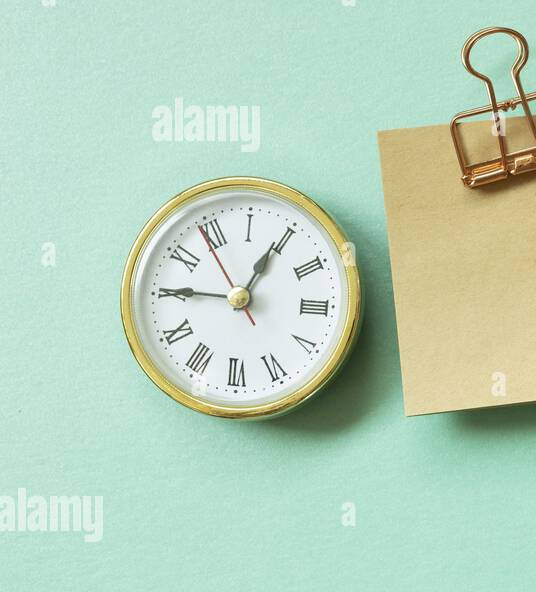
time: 12:45
